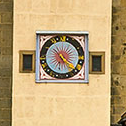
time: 10:20
